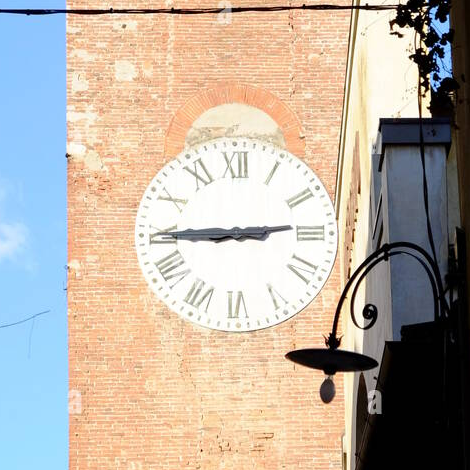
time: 2:44
